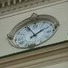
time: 1:56
